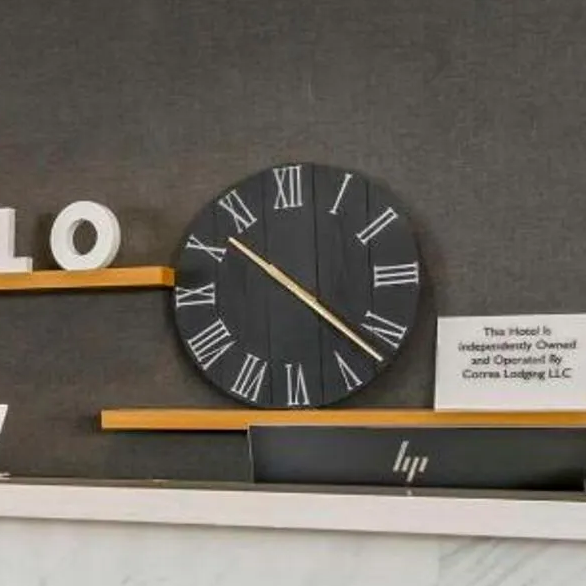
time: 10:22
